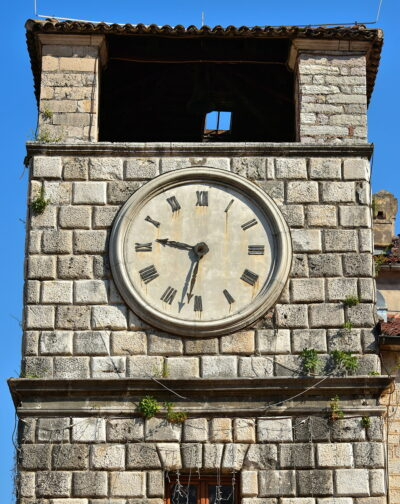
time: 9:32
